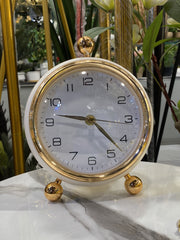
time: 9:22
